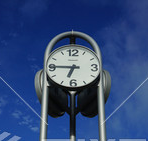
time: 6:45
